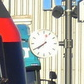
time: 7:39
